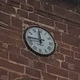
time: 11:44
